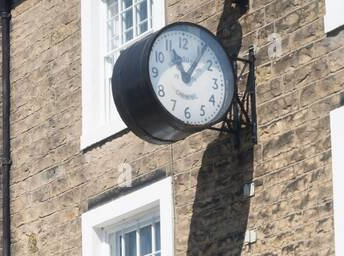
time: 11:06
